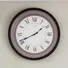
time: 1:41
